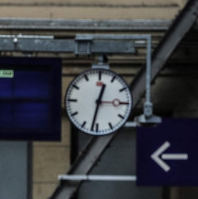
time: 12:31
